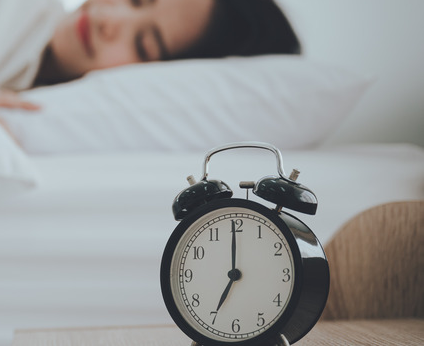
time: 7:00
